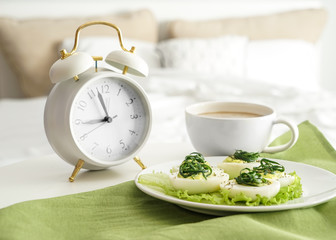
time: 8:57
